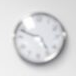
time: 4:48
